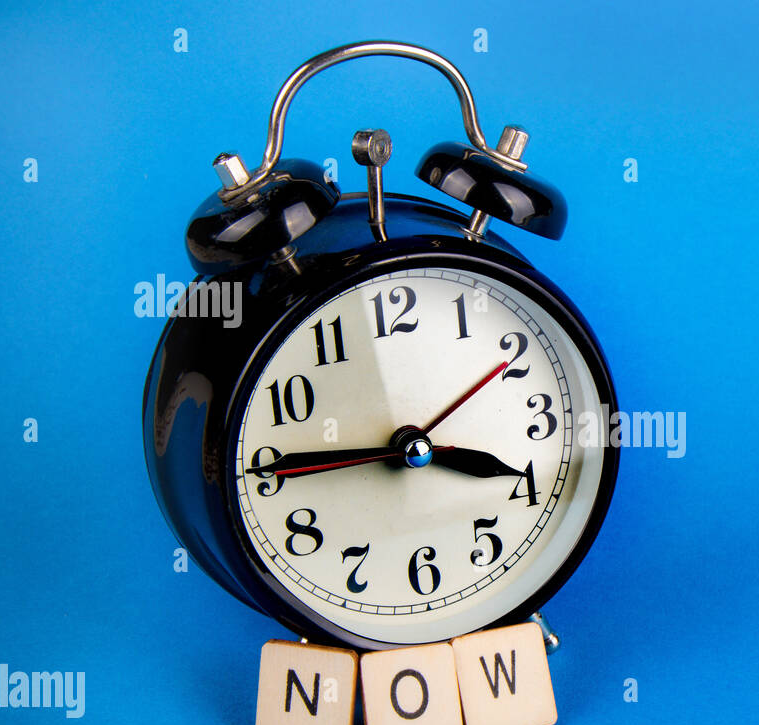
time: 3:45
